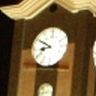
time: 8:49
